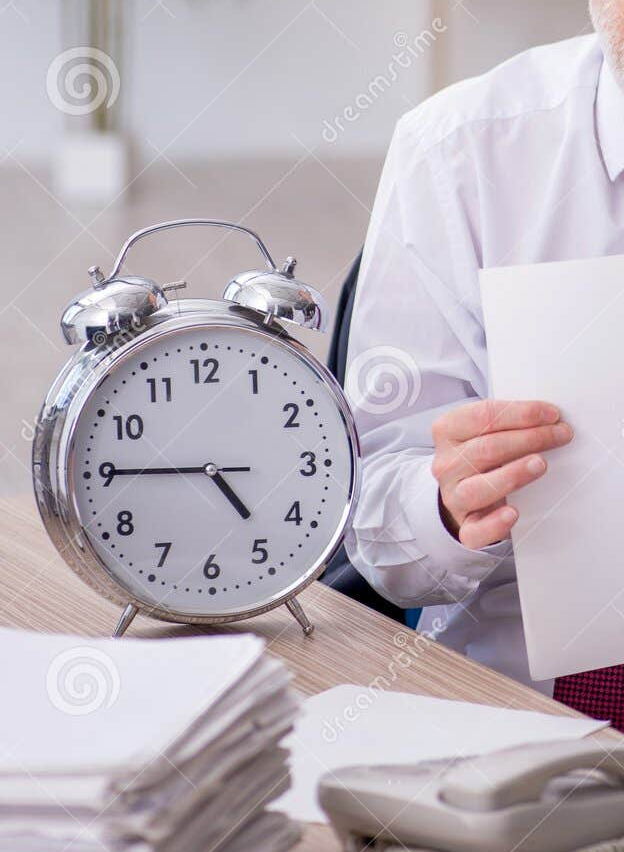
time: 4:45
